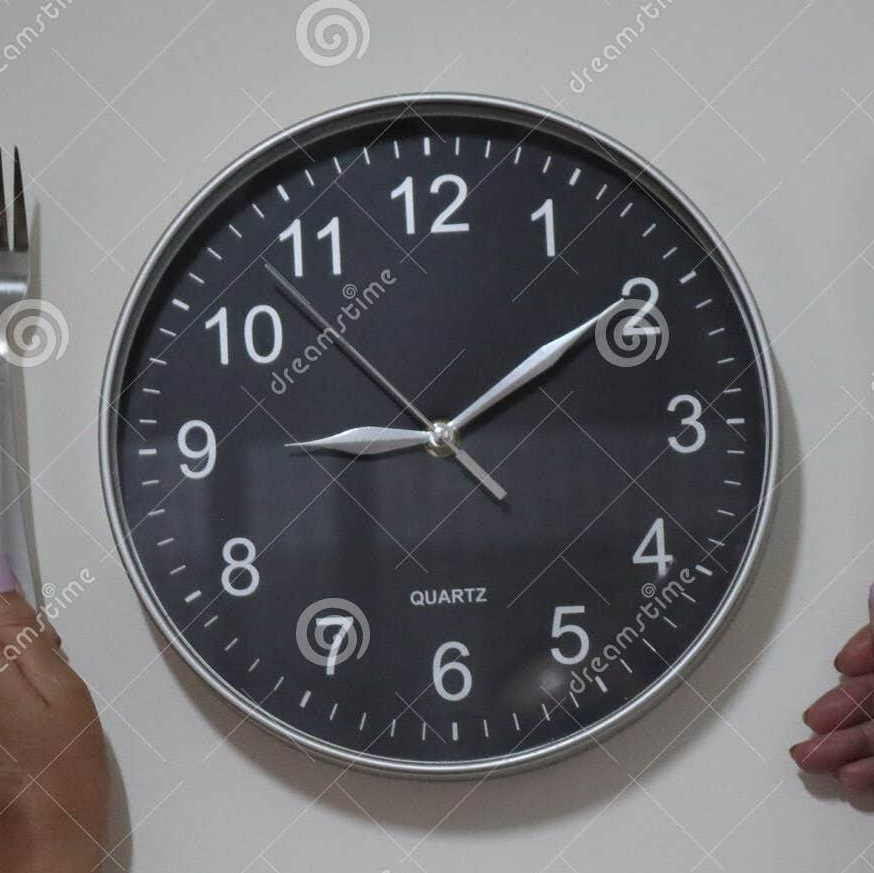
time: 9:09
